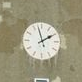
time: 1:57
